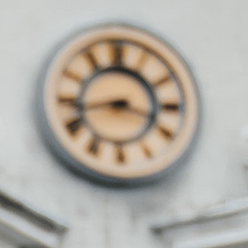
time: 3:43
